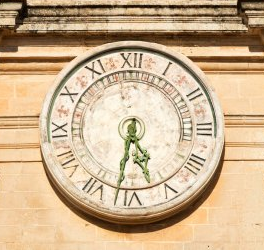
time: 5:31
